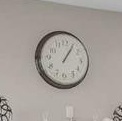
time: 1:05
